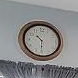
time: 10:30
